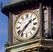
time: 1:37
